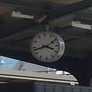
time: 3:42
